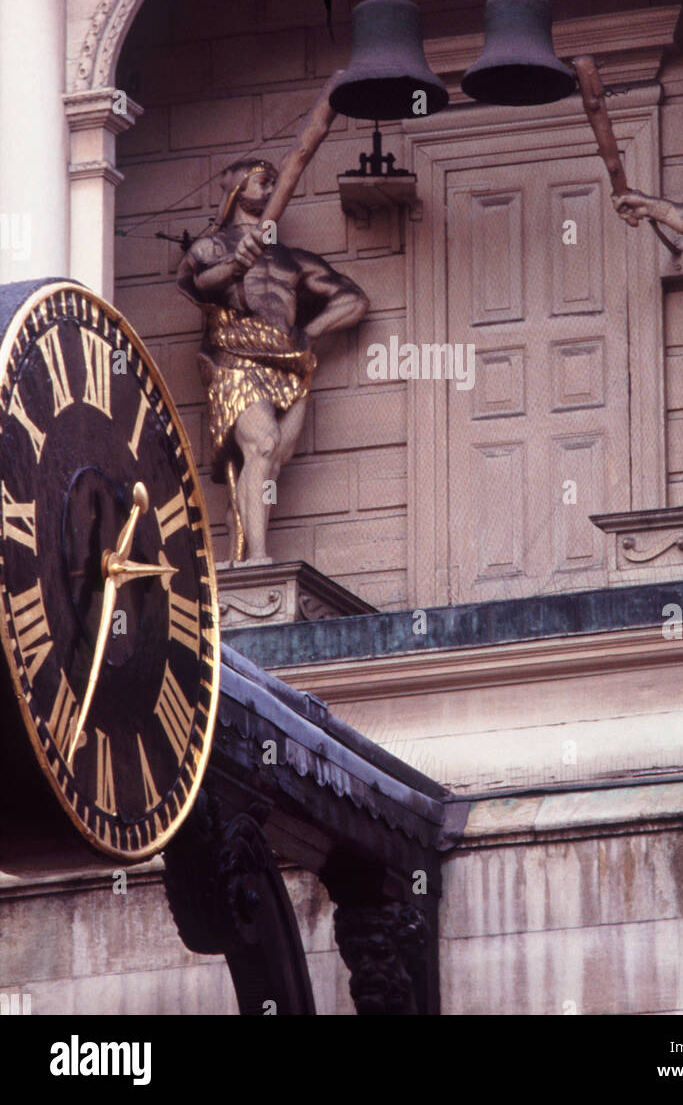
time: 2:34
